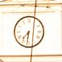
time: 7:31
